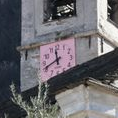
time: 11:41
